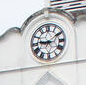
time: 9:09
